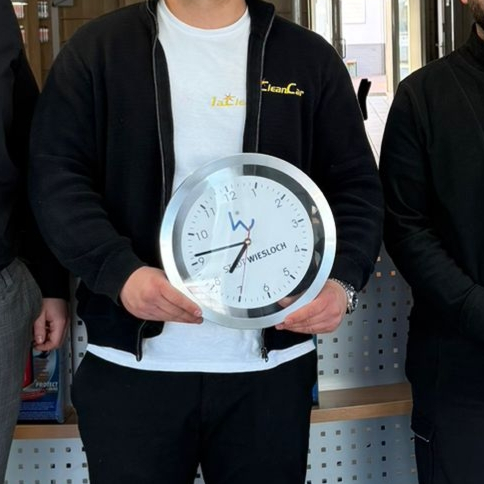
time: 6:41
